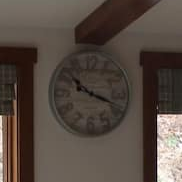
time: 10:18
